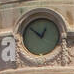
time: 12:52
